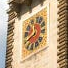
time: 11:40
